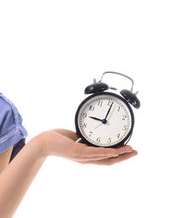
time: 9:01
